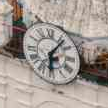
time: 6:06
